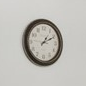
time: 1:10
